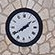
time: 1:39
